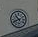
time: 10:41
